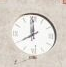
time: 7:59
